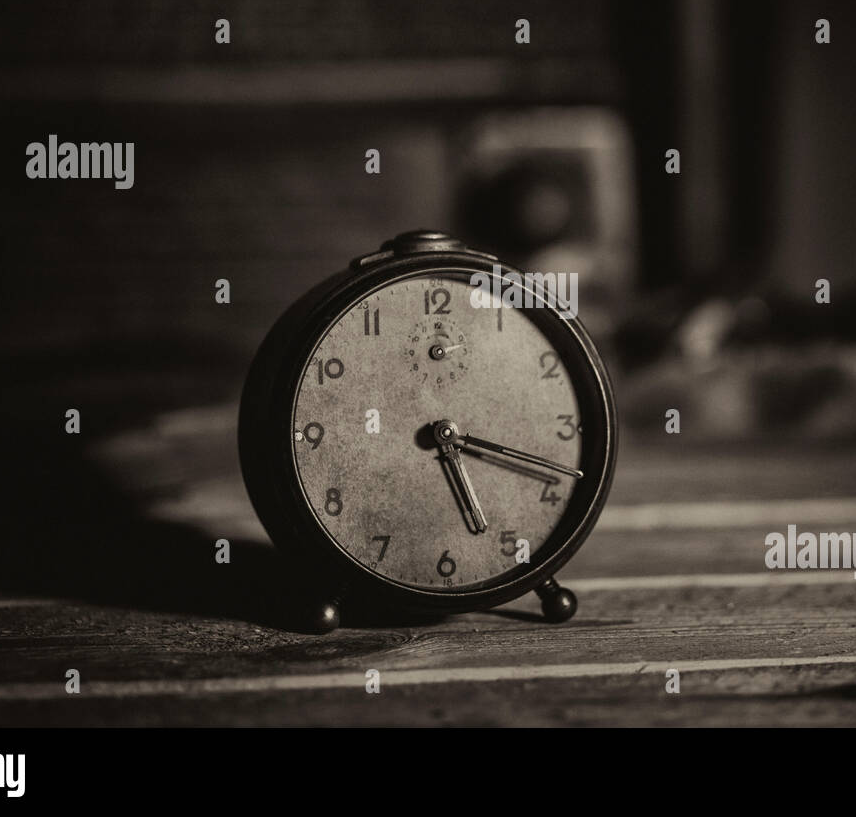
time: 5:18
